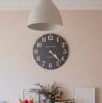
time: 4:22
